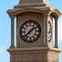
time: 1:38
